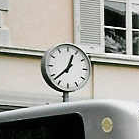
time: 12:37
